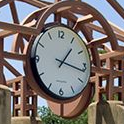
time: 1:16
